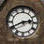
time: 2:40
